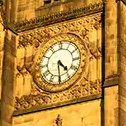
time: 4:29
